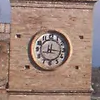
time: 12:16
